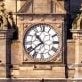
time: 10:38
